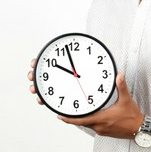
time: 9:57
